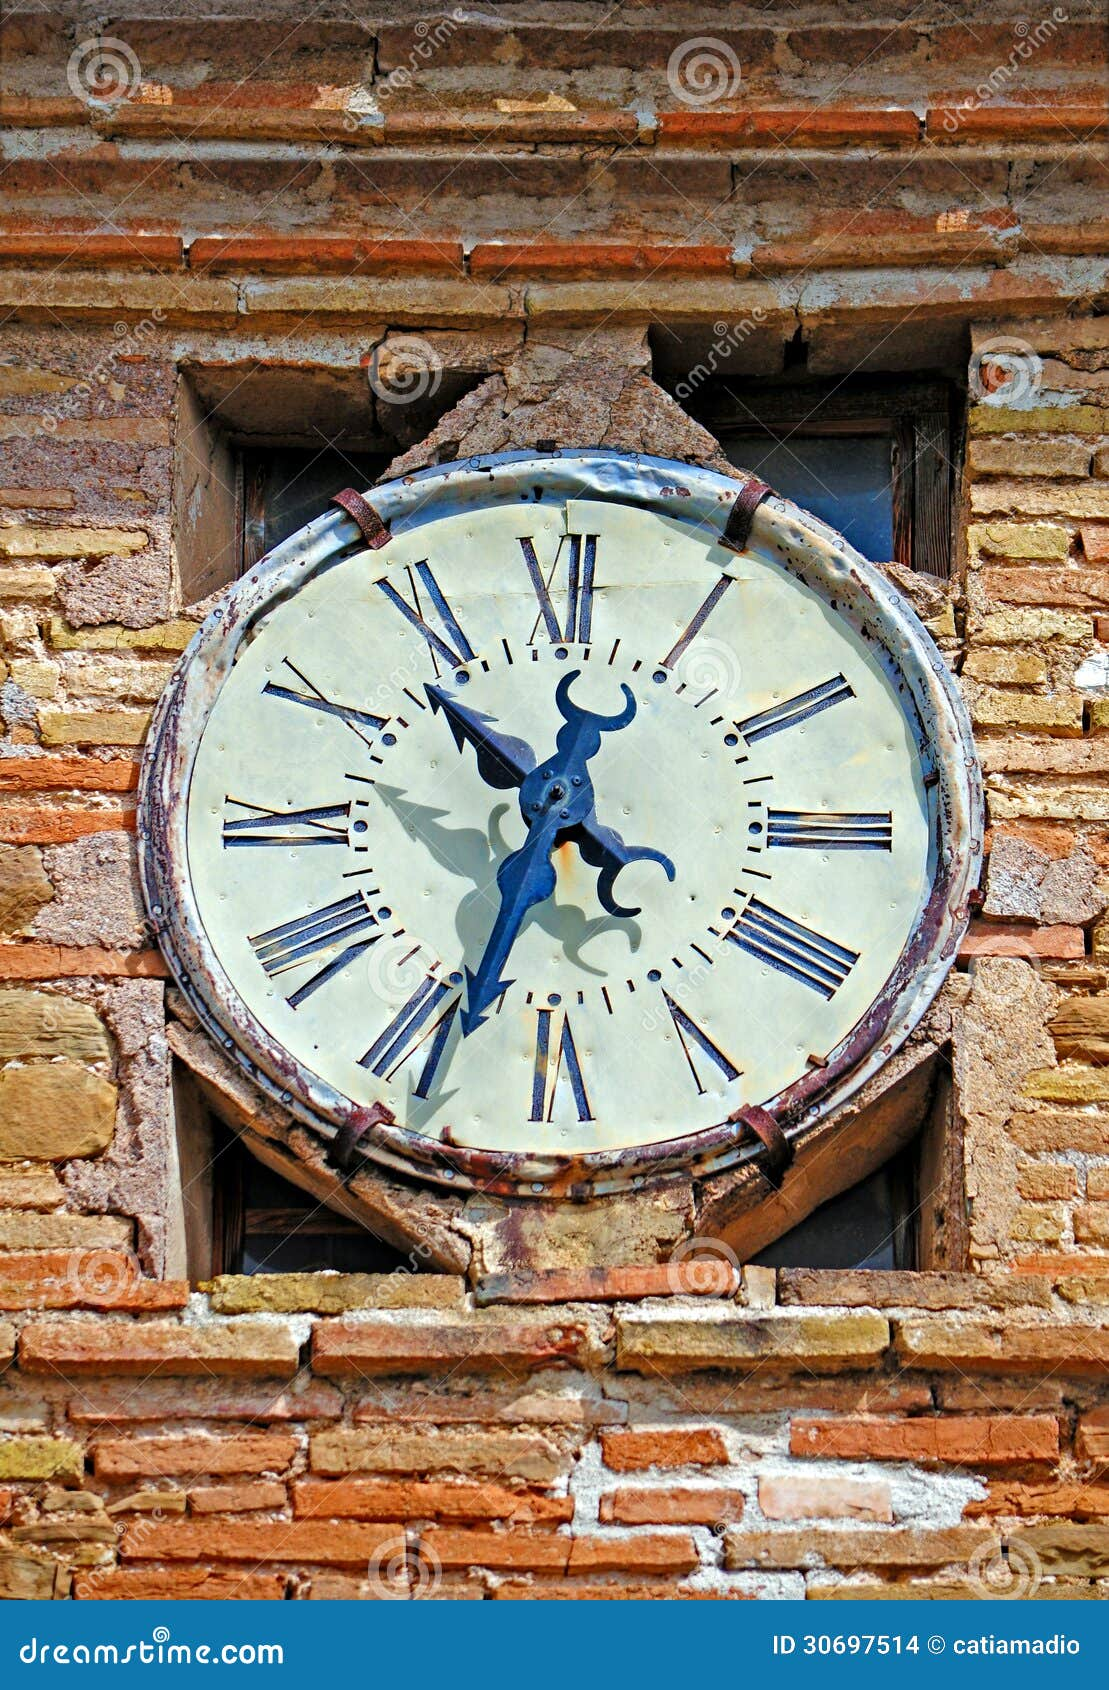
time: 10:33
